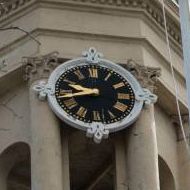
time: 9:42
